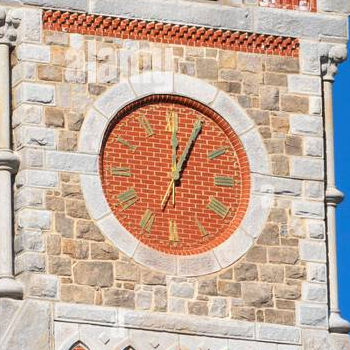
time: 12:04
